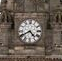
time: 4:40
